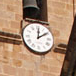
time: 12:09
